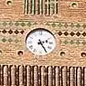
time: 2:24
